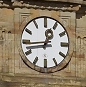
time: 12:44
